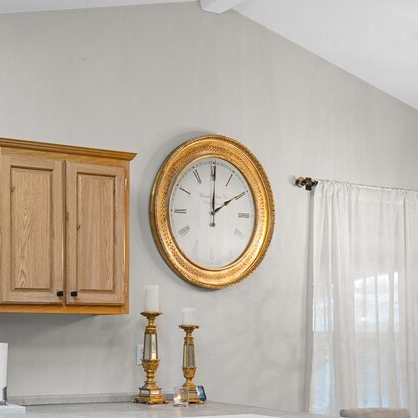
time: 2:00
